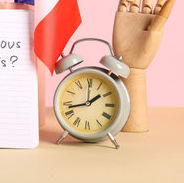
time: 1:42
